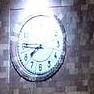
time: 7:45
